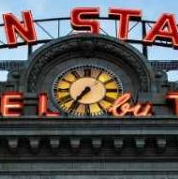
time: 7:36
